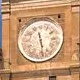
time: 11:28
